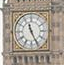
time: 11:25
